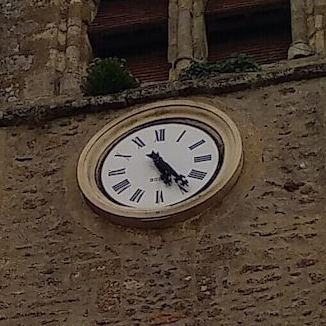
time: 5:24
